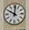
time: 10:00
